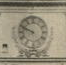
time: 9:48
